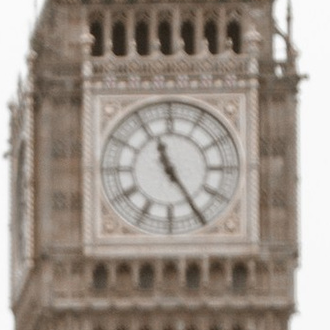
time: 11:24
